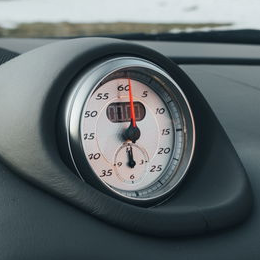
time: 6:00
